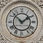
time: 1:52
